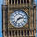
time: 2:36
